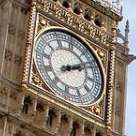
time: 2:09
